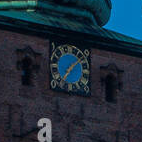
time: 7:08
